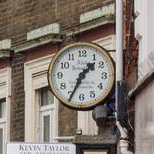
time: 1:34
